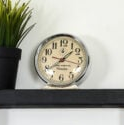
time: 1:39
